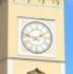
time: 1:47
